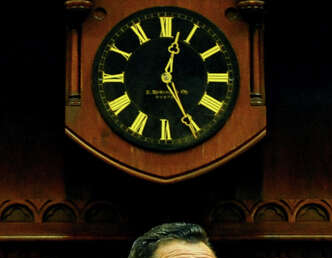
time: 12:25
